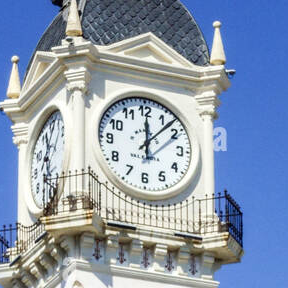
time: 12:07
